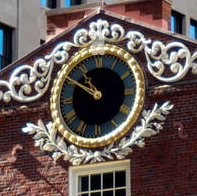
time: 10:50
